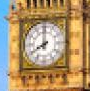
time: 7:59
